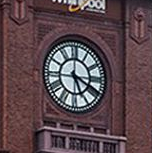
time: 5:18
